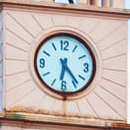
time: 6:23
